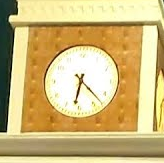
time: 6:22
